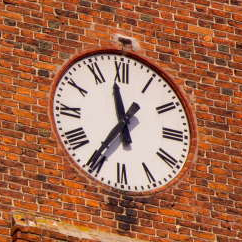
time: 11:35
